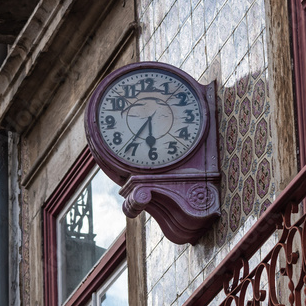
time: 6:36
